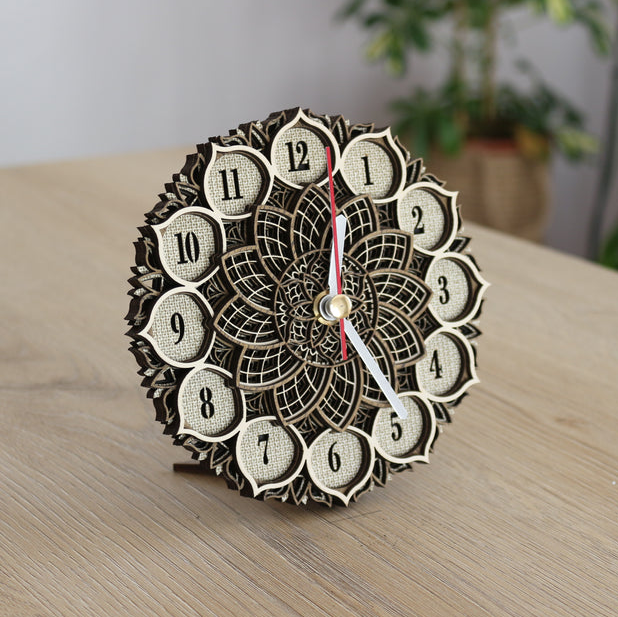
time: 12:23
